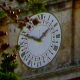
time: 1:49
